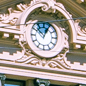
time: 12:52
